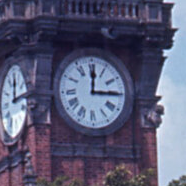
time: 12:14
